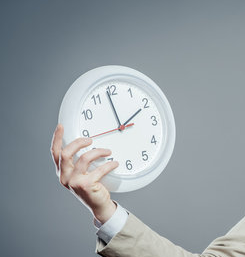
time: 1:58
